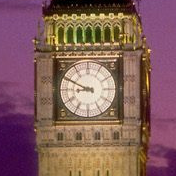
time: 8:49
